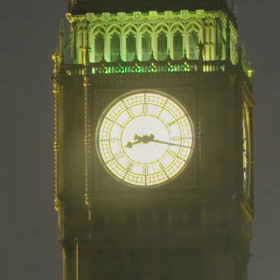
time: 8:17
